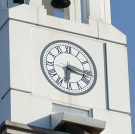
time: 6:17
